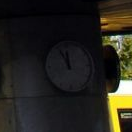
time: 11:55
